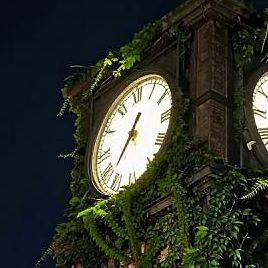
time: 12:37
